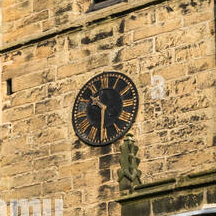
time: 10:30
